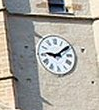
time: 9:09
